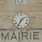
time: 1:35
